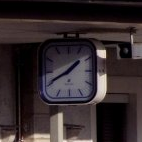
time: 1:40
